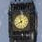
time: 7:57
